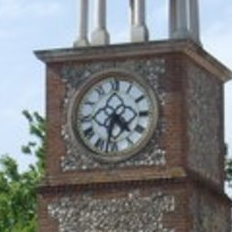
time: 4:32
